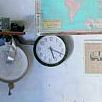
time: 5:18
